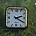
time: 2:20
